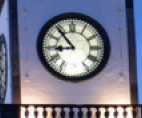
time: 8:53
